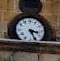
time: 3:26
